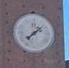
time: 1:37
